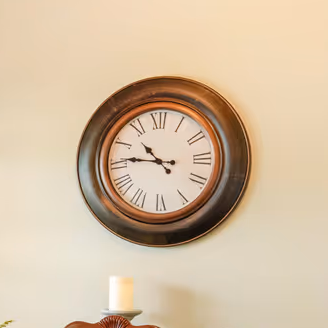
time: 10:46
